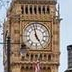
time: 4:57
